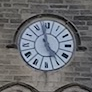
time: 4:57
